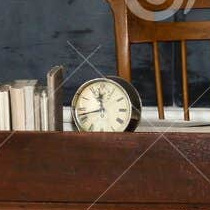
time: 11:42
